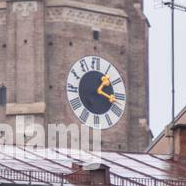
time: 1:18
